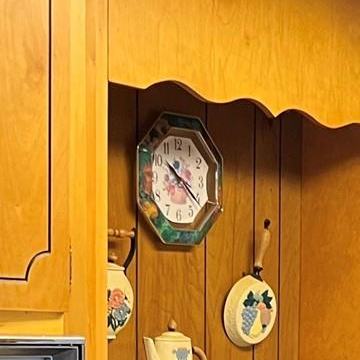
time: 10:21
